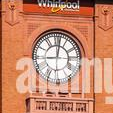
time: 9:01
